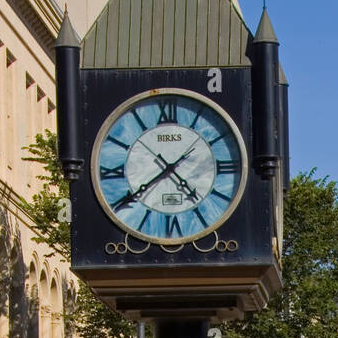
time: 4:39
